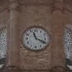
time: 11:19
